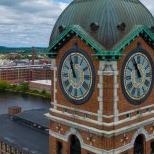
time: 10:56
